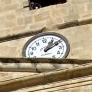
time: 1:10
